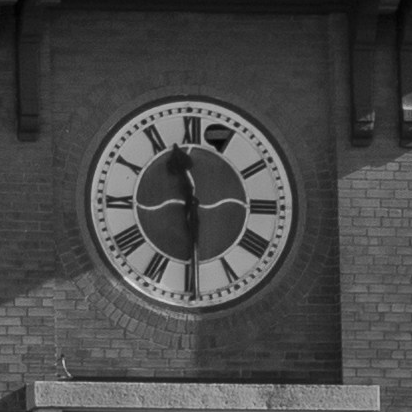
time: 11:29
